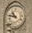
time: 10:47
